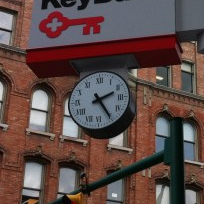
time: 2:24
